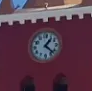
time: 1:22
